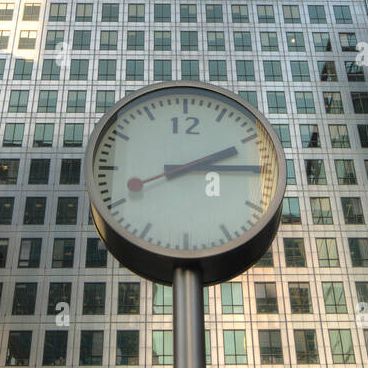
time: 2:14
